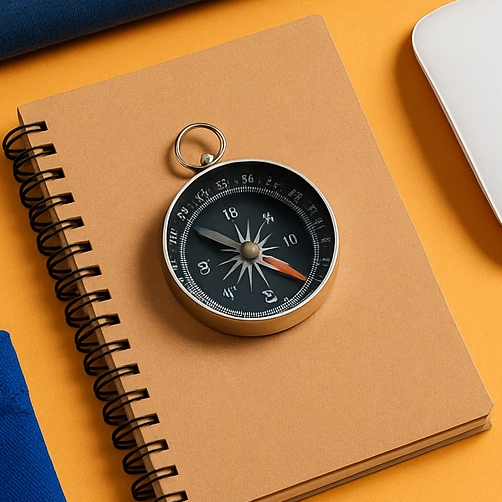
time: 3:48
